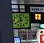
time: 11:40
